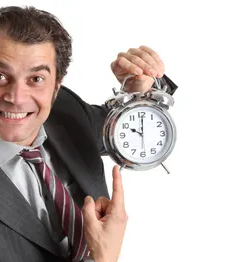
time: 10:00
